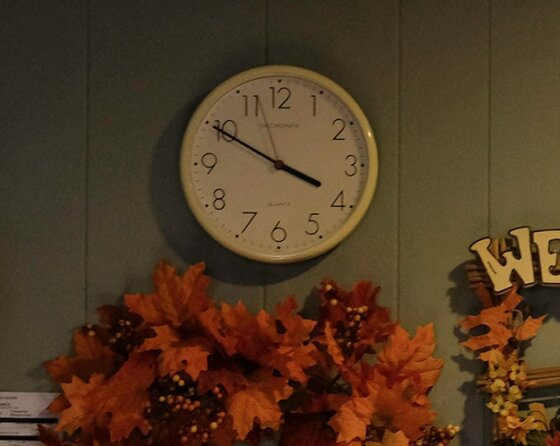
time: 3:49
